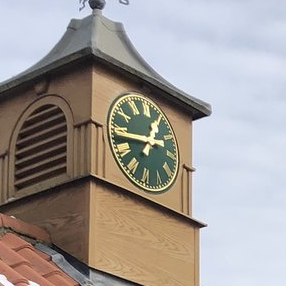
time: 12:43
